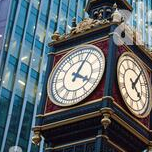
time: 4:04
